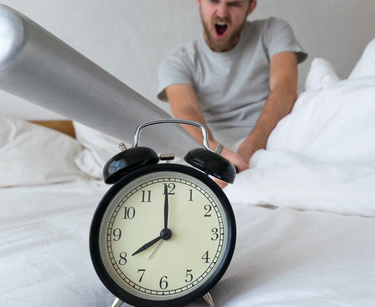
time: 7:59
